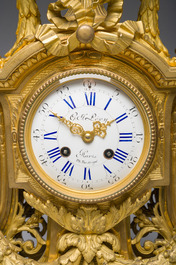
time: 1:50
